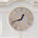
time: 12:41
